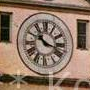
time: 10:17
